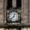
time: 12:37
